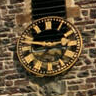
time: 2:46
